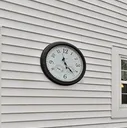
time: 11:23
